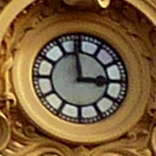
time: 2:58
